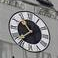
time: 10:37
